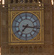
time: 7:16
